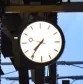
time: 7:36
